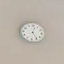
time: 12:24
